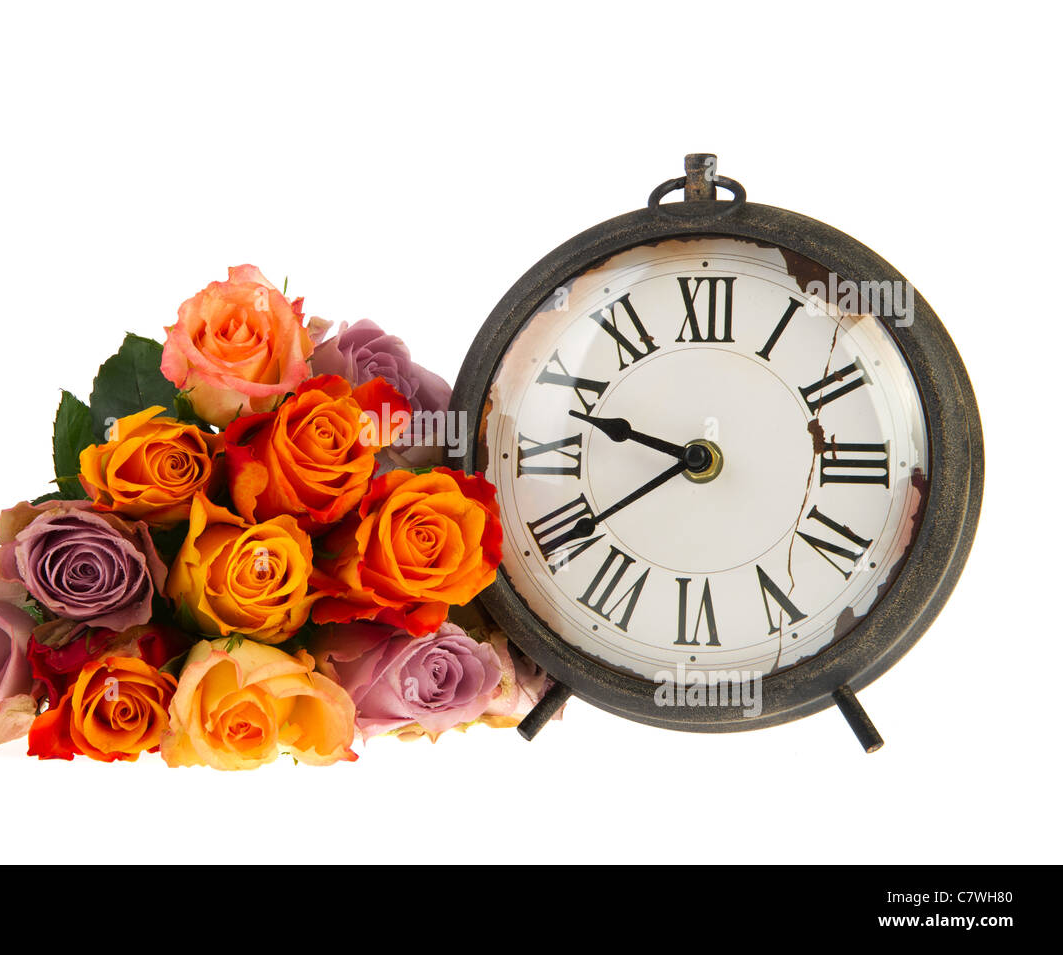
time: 9:39
